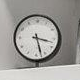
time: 3:27
